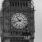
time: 10:42
